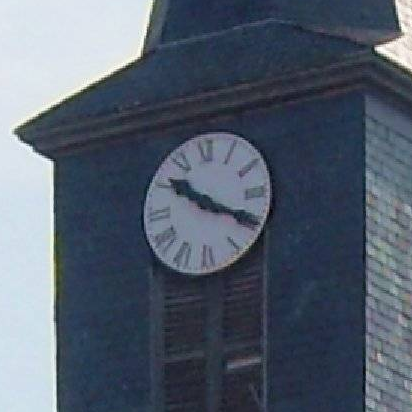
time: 10:19
